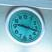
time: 9:17
